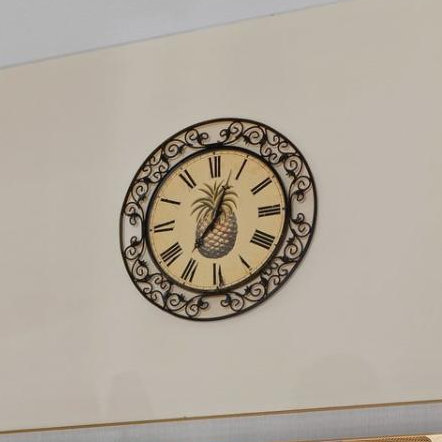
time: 7:03
